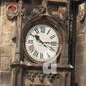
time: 10:14
